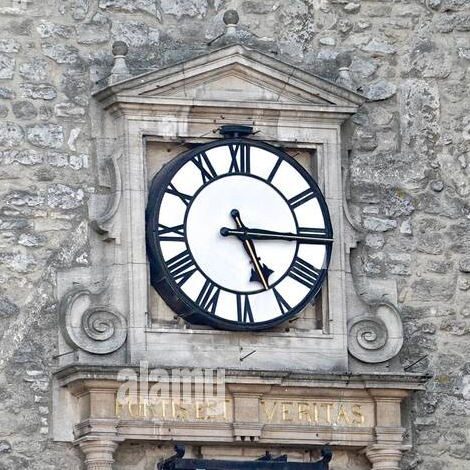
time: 5:15
